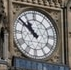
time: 10:51
